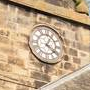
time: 4:04
